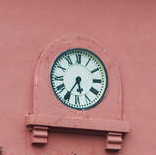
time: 5:35
